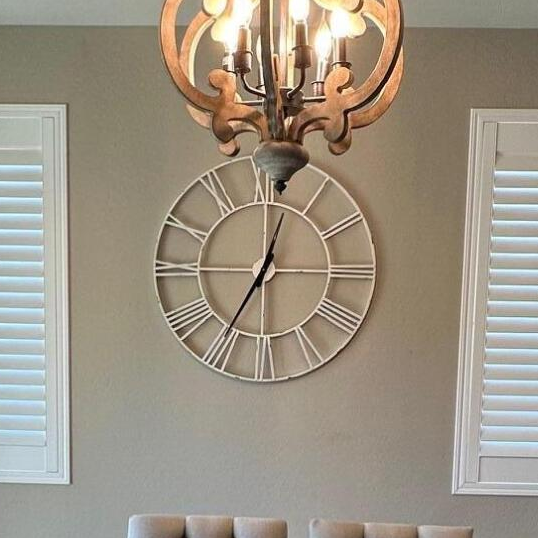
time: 12:35
